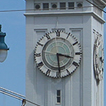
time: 3:29
